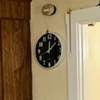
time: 12:07
